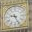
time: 9:25
